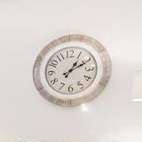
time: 1:10
